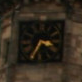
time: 3:34
